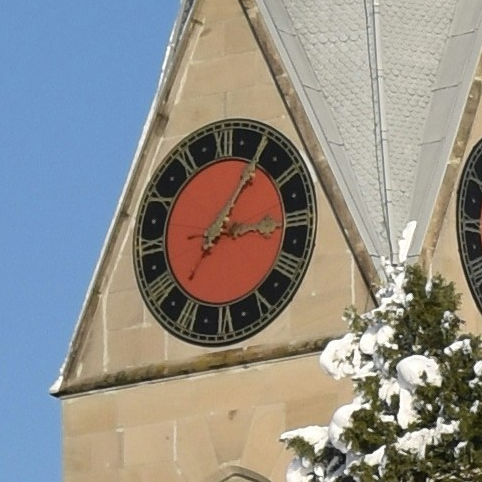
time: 3:05
